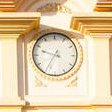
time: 9:35
